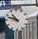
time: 10:48
